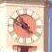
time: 4:49
